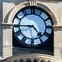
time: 4:44
